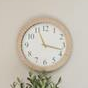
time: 11:17
